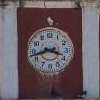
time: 3:42
